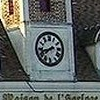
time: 7:42
